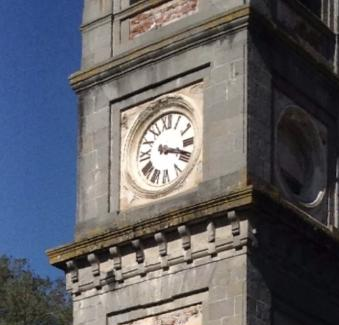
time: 3:18
